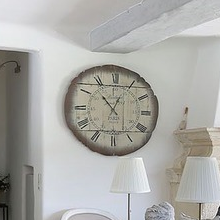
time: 12:53
